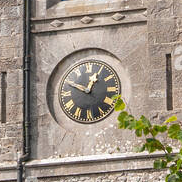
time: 12:49
